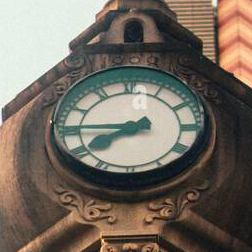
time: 7:45
